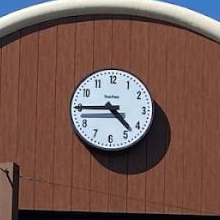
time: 4:44
